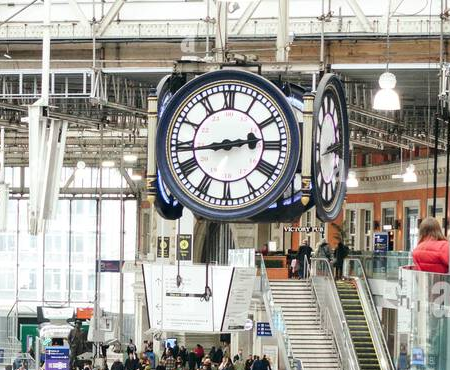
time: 2:43
